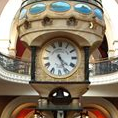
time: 4:26
